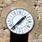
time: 1:37
